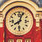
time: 8:03
